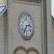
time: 2:35
